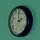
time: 1:59
